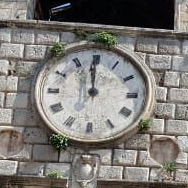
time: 11:59
